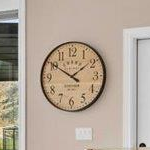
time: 1:50
